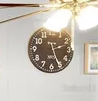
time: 2:26
